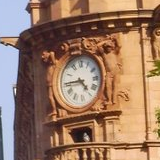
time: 4:44
